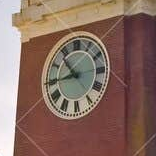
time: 10:44
